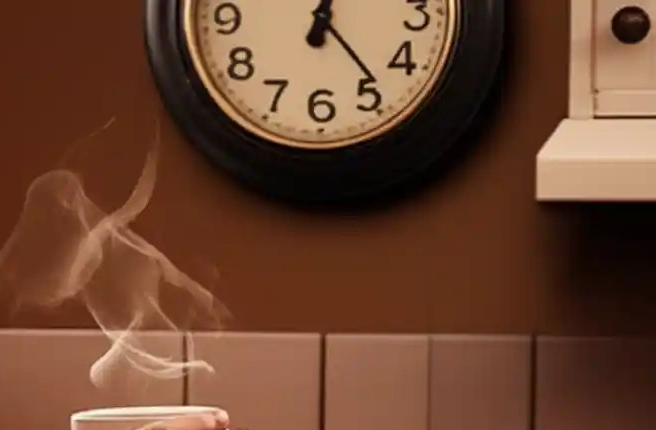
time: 12:23
